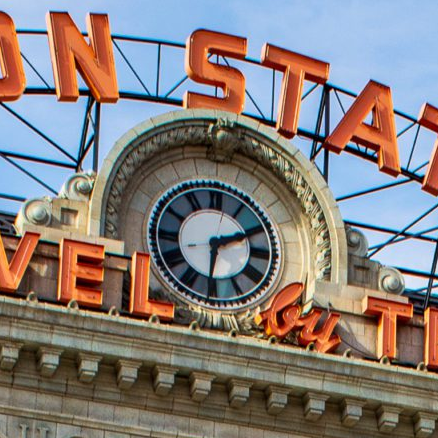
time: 6:10
